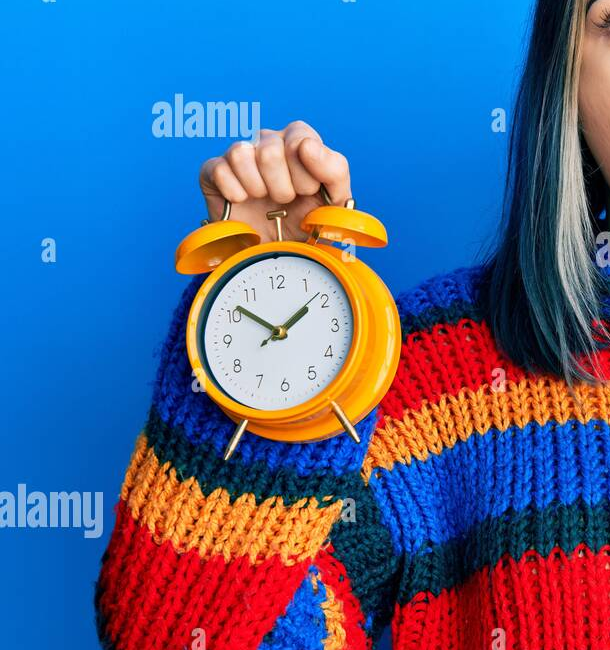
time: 1:51
